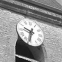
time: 9:32
